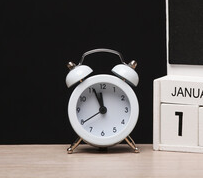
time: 11:56
